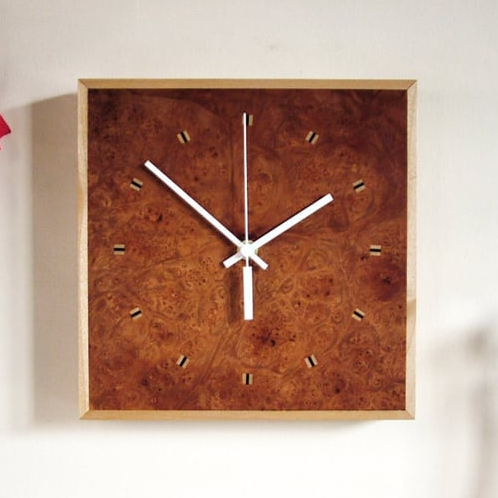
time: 1:51
